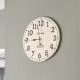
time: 8:57
